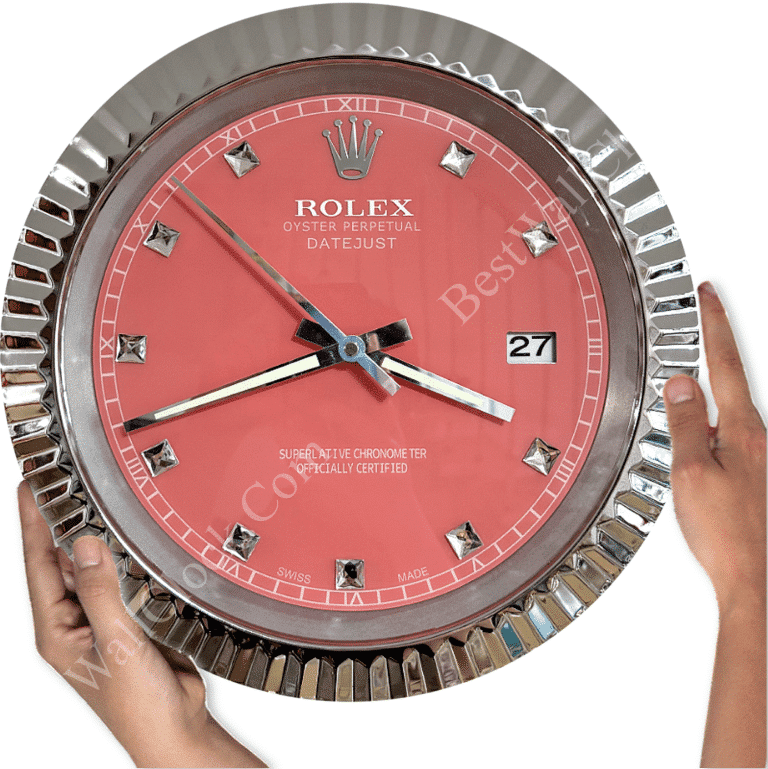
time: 3:41
